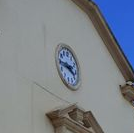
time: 3:44
